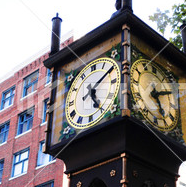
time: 5:09
